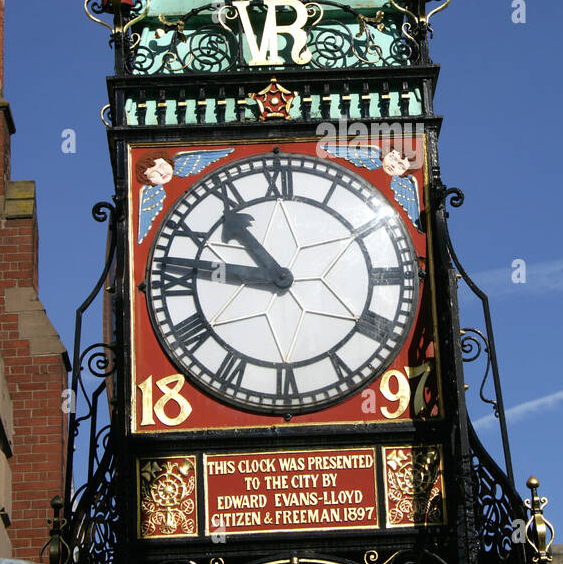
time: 10:46
